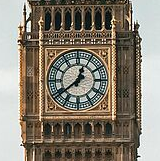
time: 12:38
